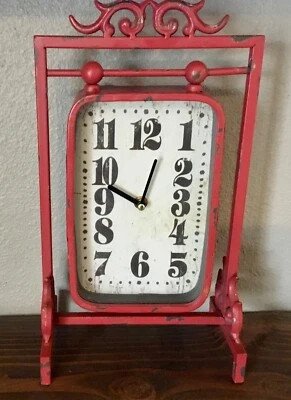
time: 12:48
